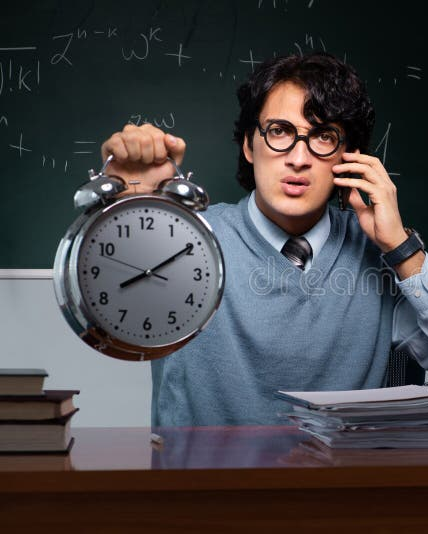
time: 8:09
